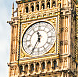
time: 11:35
